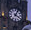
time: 4:04
